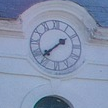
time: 7:37
